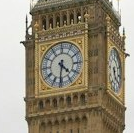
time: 4:31
